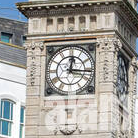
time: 12:16
